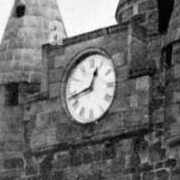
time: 12:42
